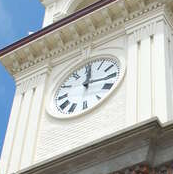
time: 12:16
